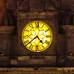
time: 4:38
